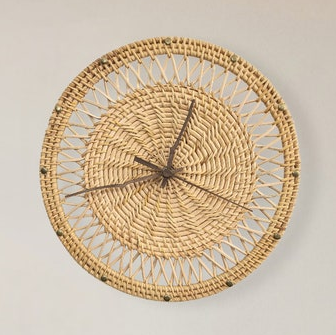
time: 12:42
